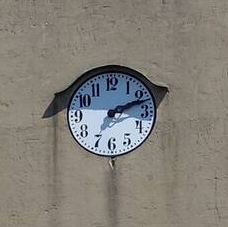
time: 7:11
